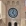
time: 12:23
